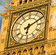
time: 6:10
